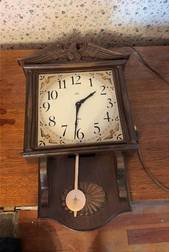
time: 1:31
